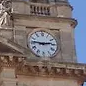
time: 2:46
